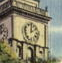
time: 2:00
